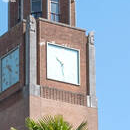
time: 10:28
